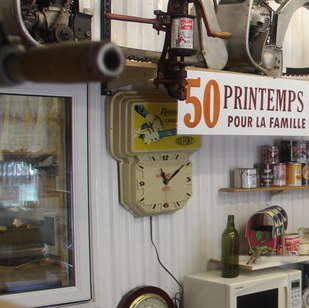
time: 11:09
